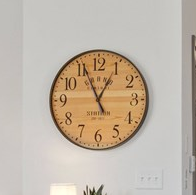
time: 12:56
